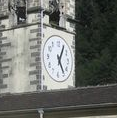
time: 5:05
